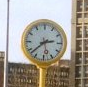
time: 2:38
